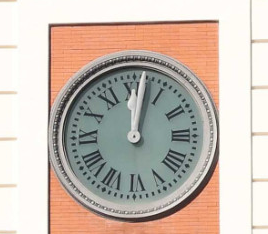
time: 12:02
